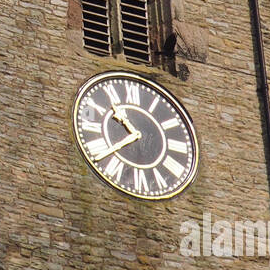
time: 10:39
